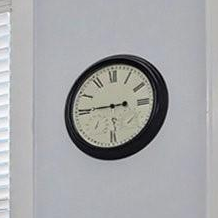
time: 2:45
